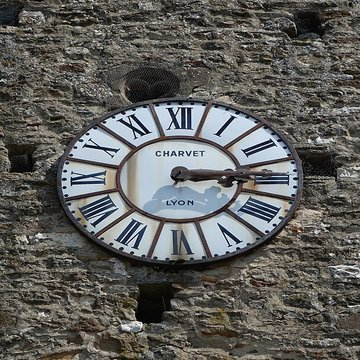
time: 3:13
